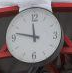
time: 11:47
